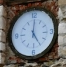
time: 5:00
